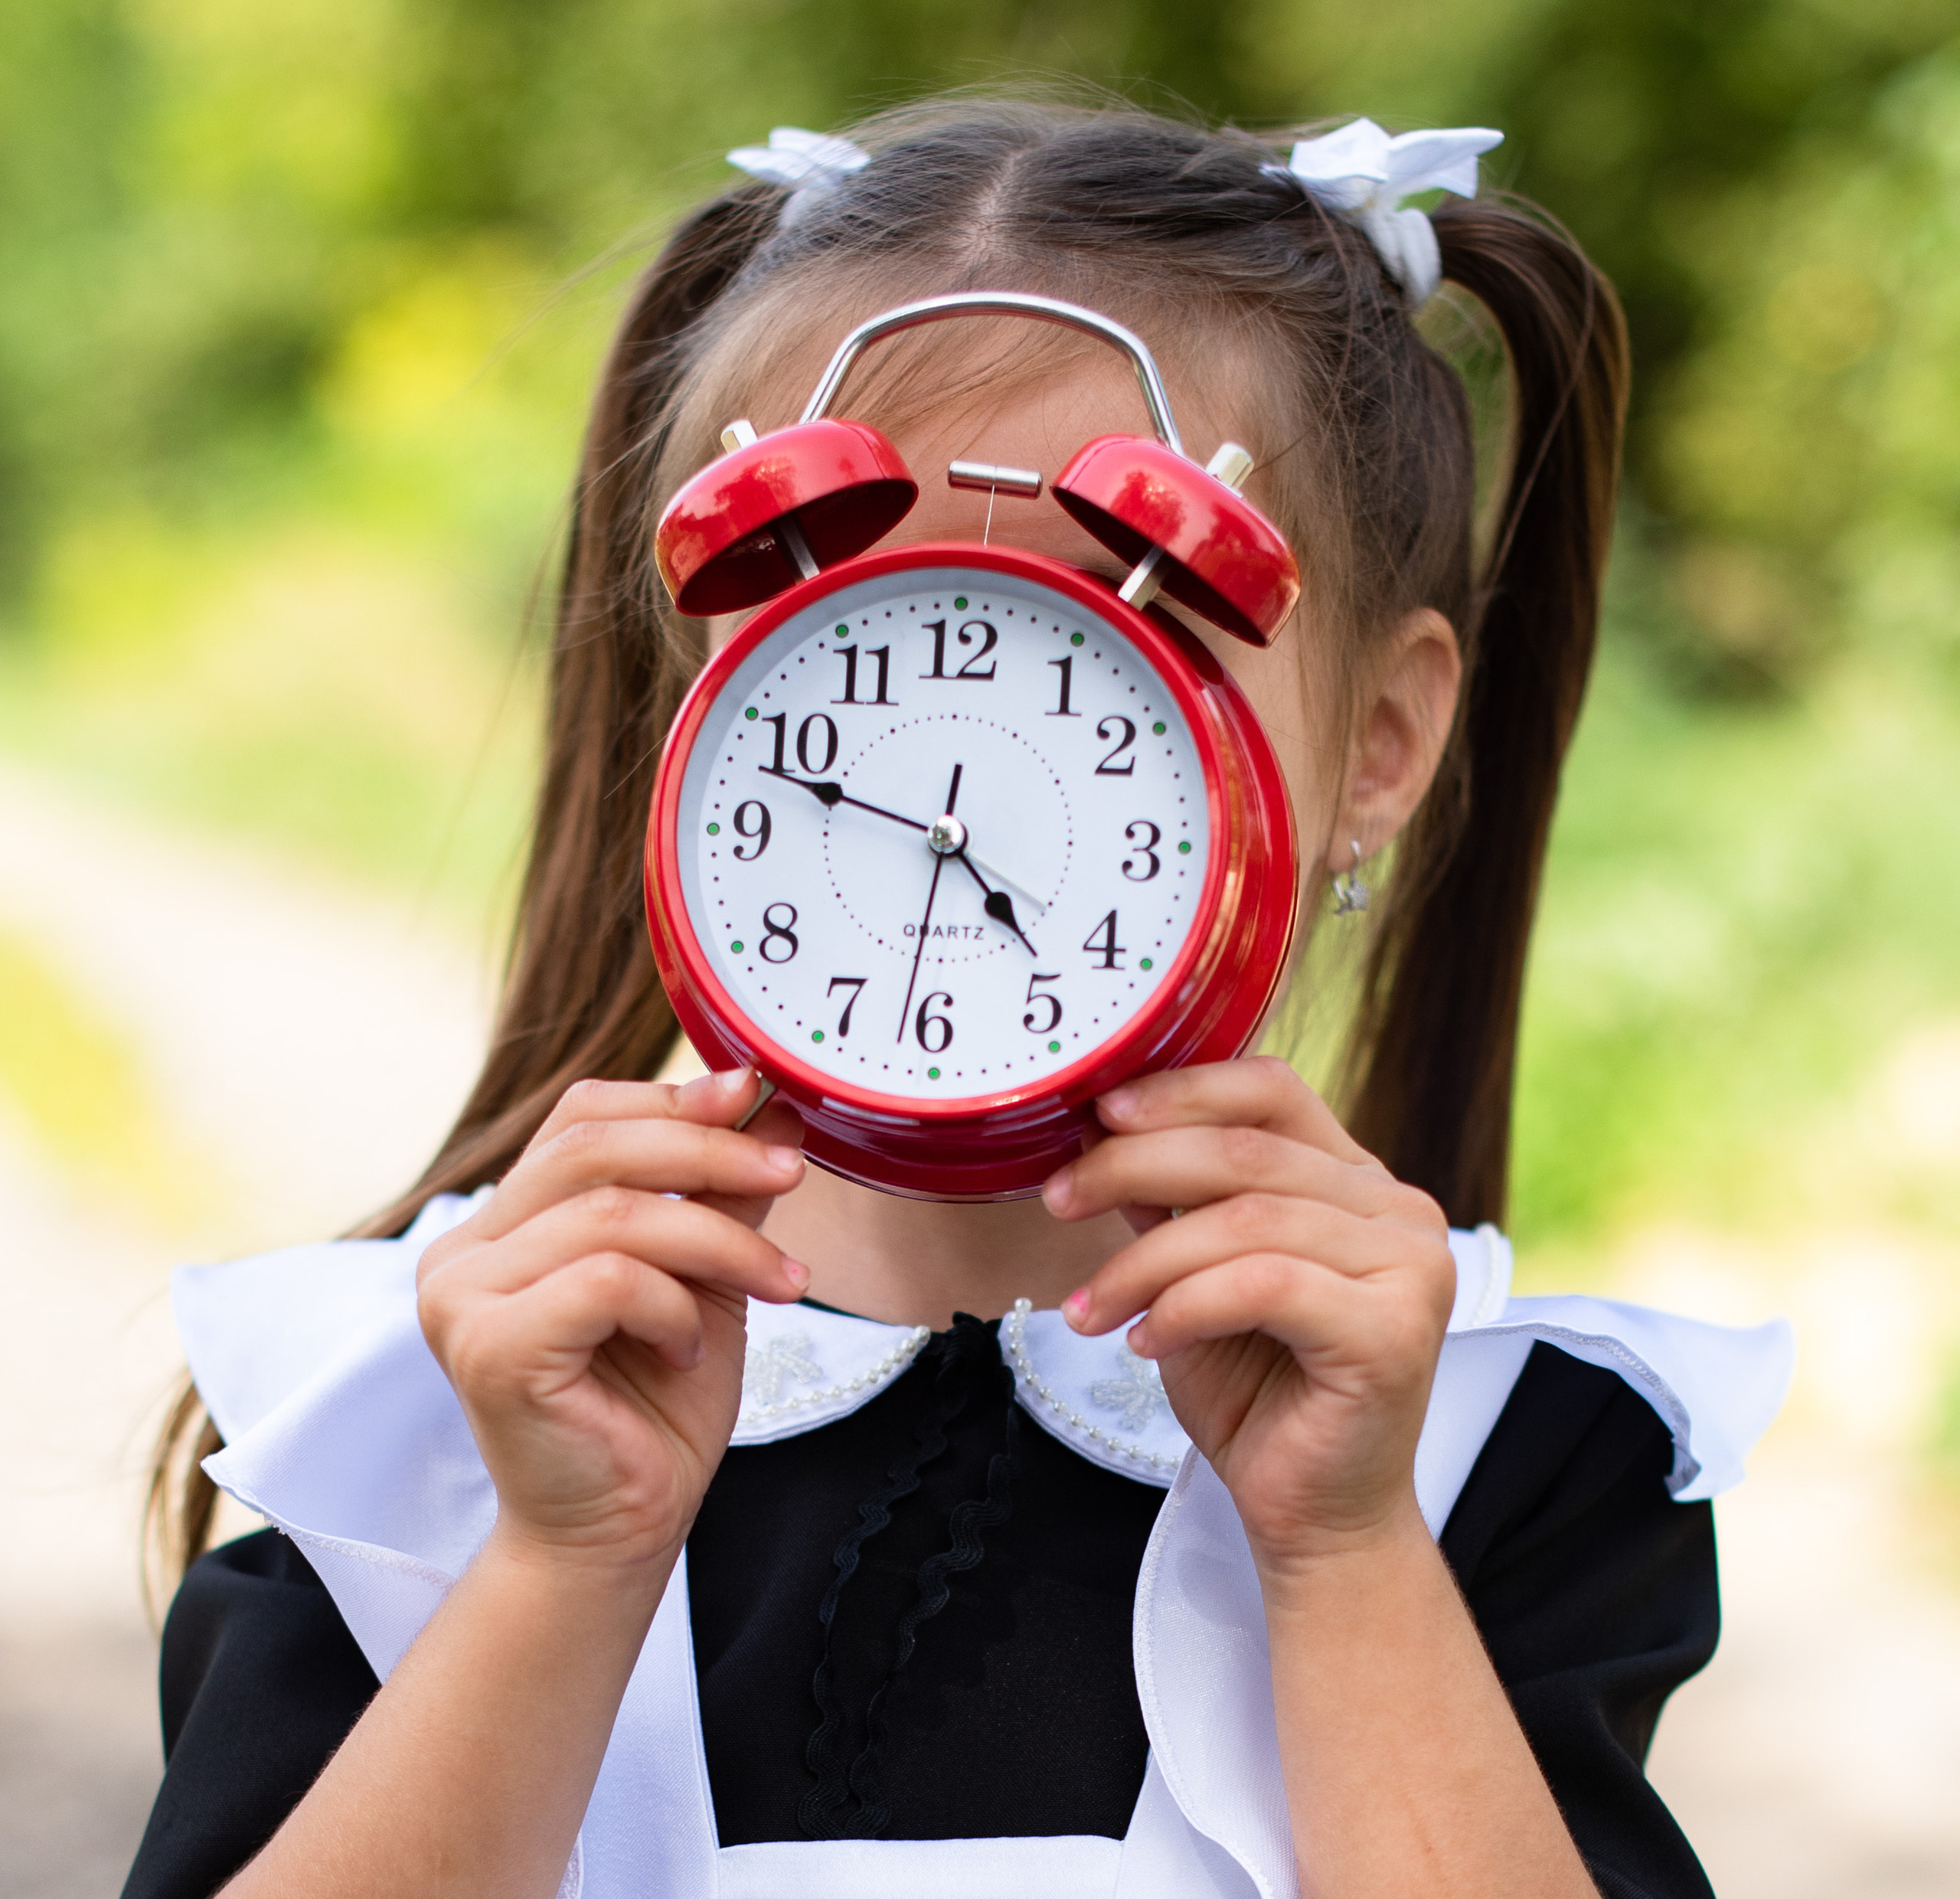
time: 4:48
